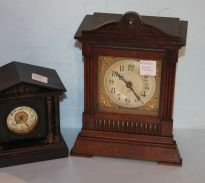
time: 10:22
